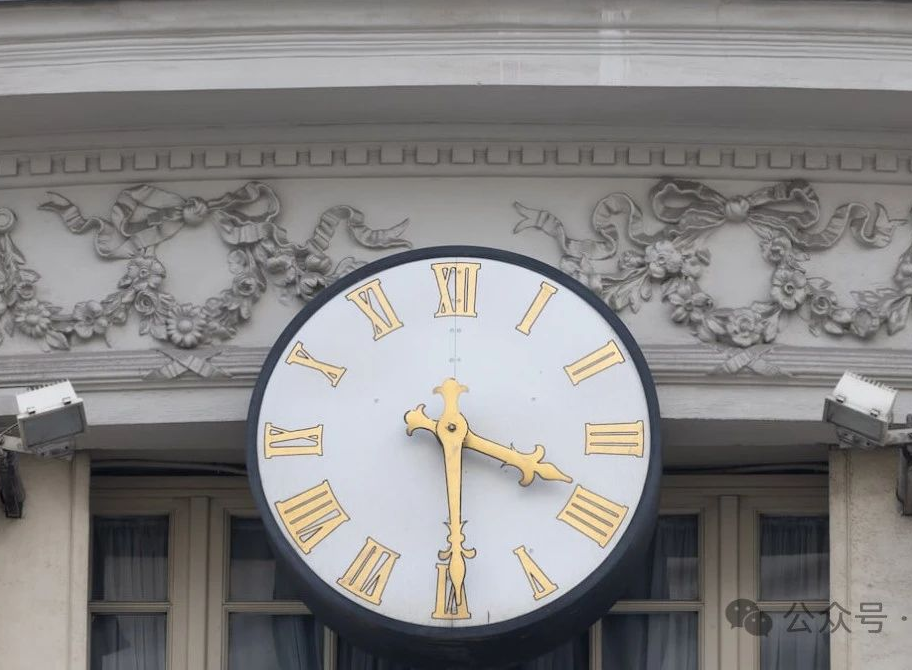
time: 3:29
